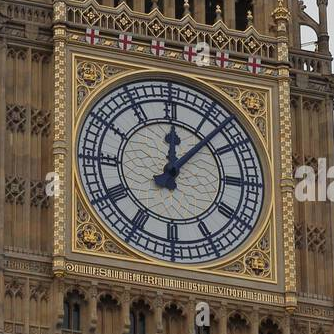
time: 12:07
